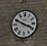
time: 3:49
